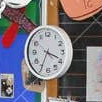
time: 3:34
